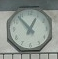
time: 12:53
